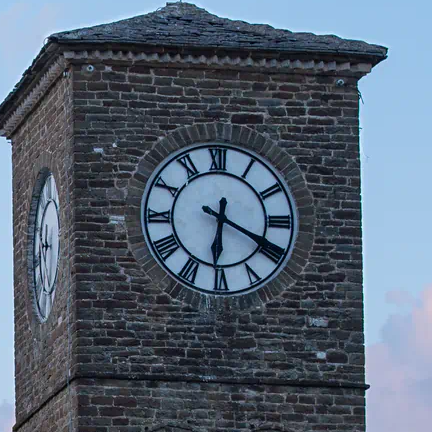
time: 6:19
